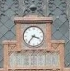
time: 3:36
